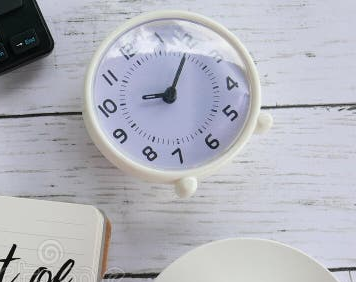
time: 9:05
